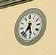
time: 5:36
